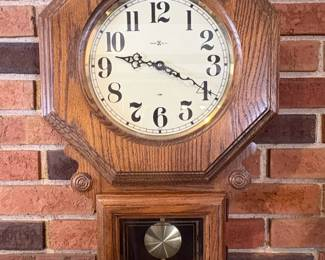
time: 9:19
